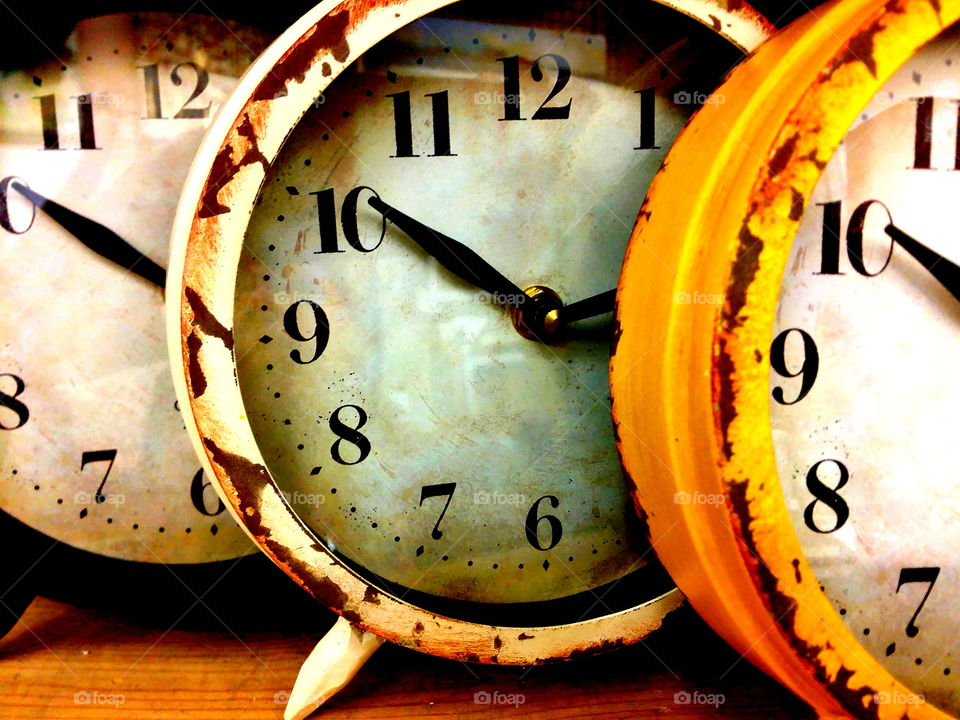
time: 2:50
